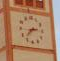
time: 2:37
